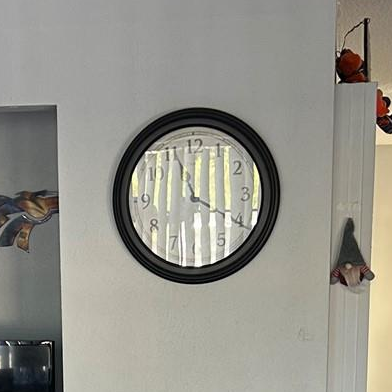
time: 12:20
